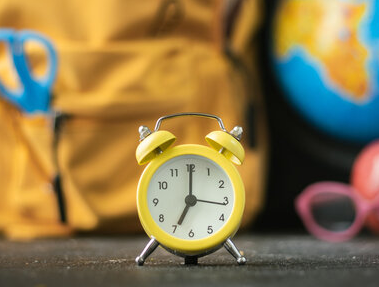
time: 7:00
